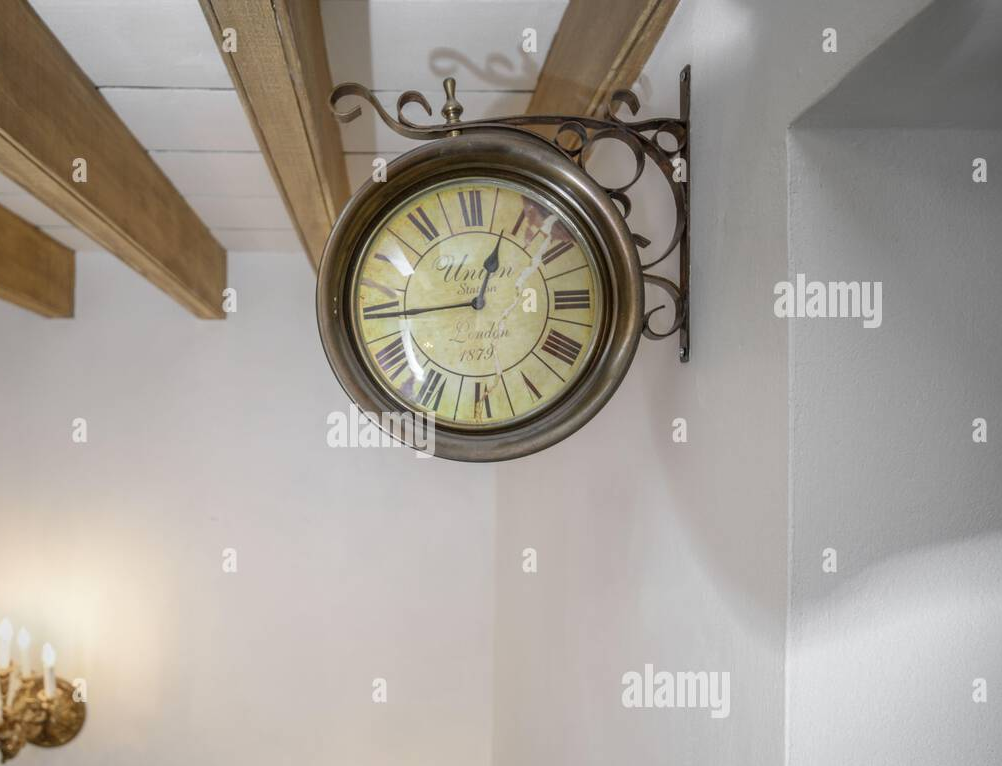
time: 12:44
